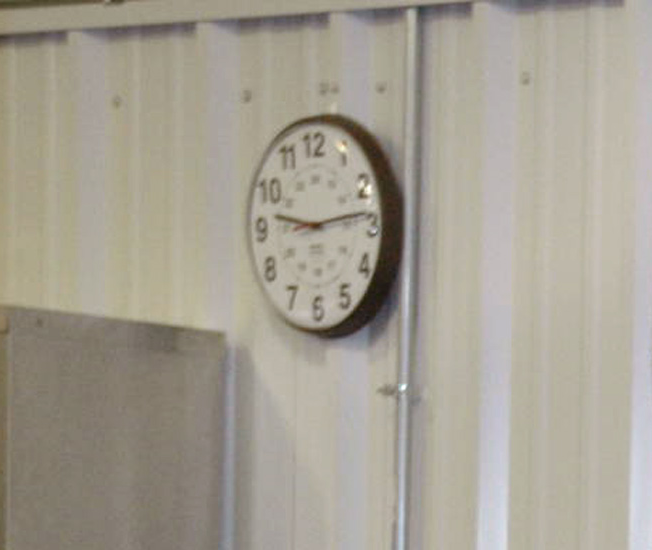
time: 9:13
